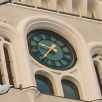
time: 9:36
